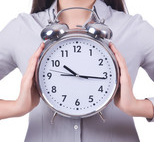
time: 10:16
